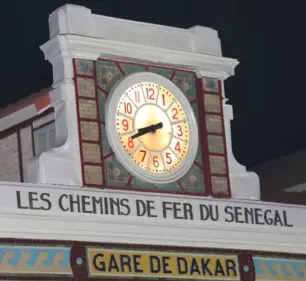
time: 8:41
